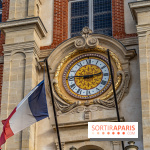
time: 2:46
